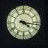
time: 4:16
